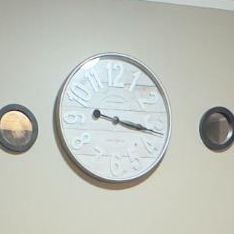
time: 3:16
